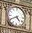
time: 4:40
